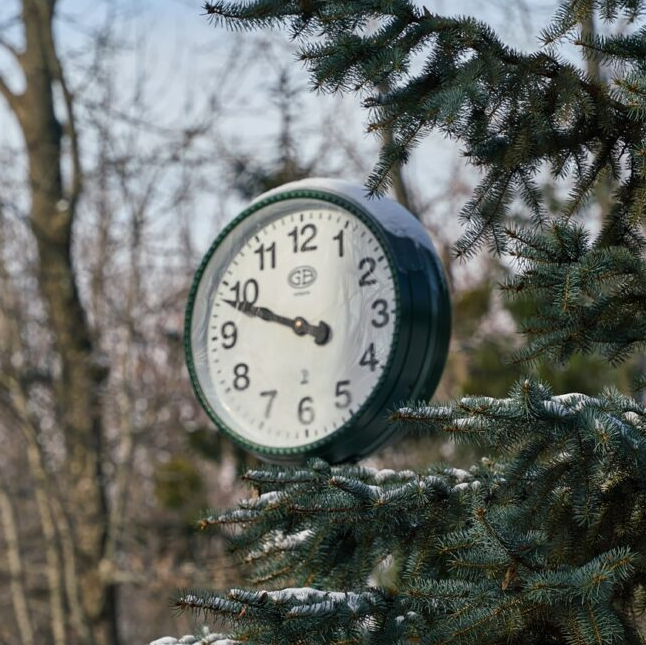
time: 9:48
